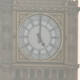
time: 5:00
